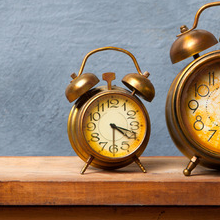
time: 4:18
